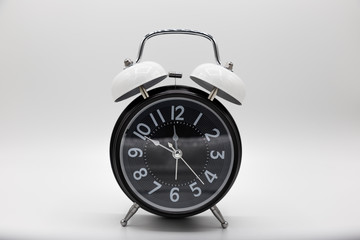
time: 11:48
